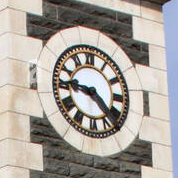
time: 9:22
